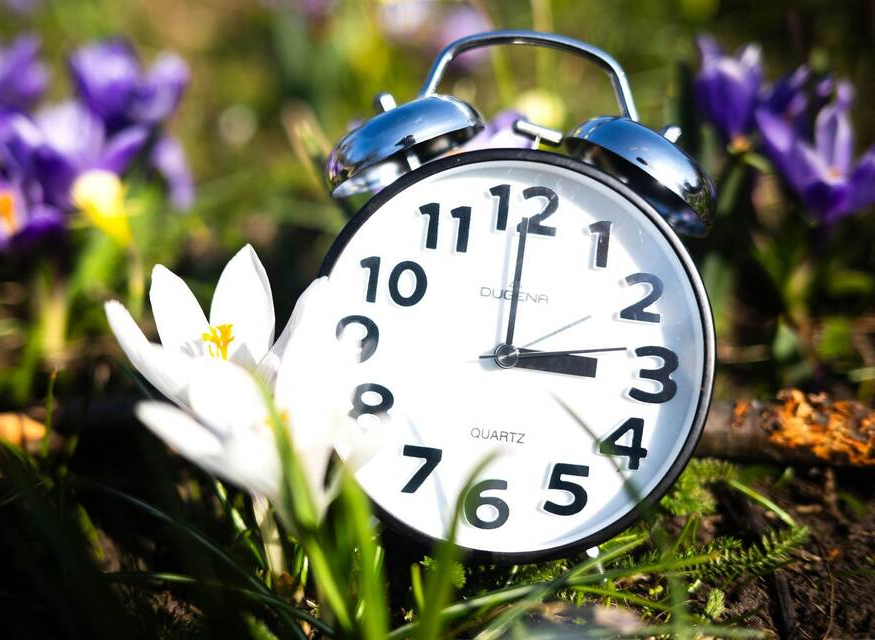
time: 3:00
